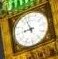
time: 8:57
